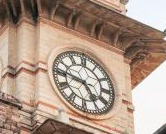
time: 4:46
